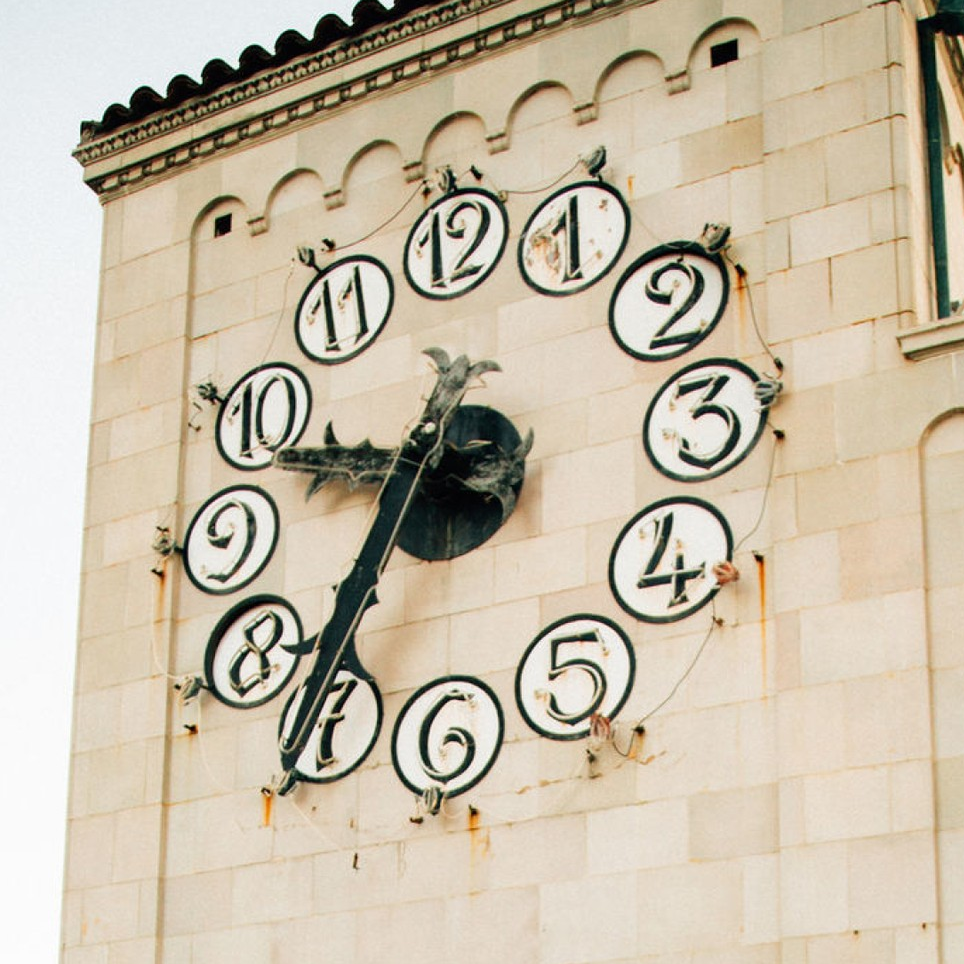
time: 9:35
